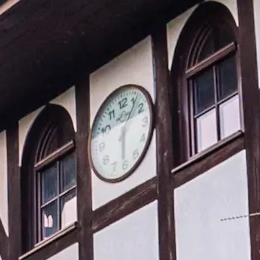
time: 6:06
